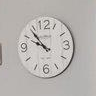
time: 9:53
